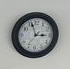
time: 2:56
